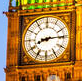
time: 8:14
